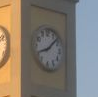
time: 8:07
